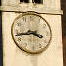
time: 3:43
